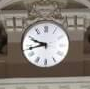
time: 9:43
